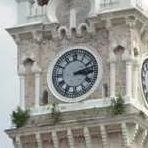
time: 3:12
